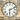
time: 6:11
